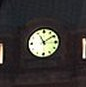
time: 11:09
